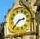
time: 2:36
